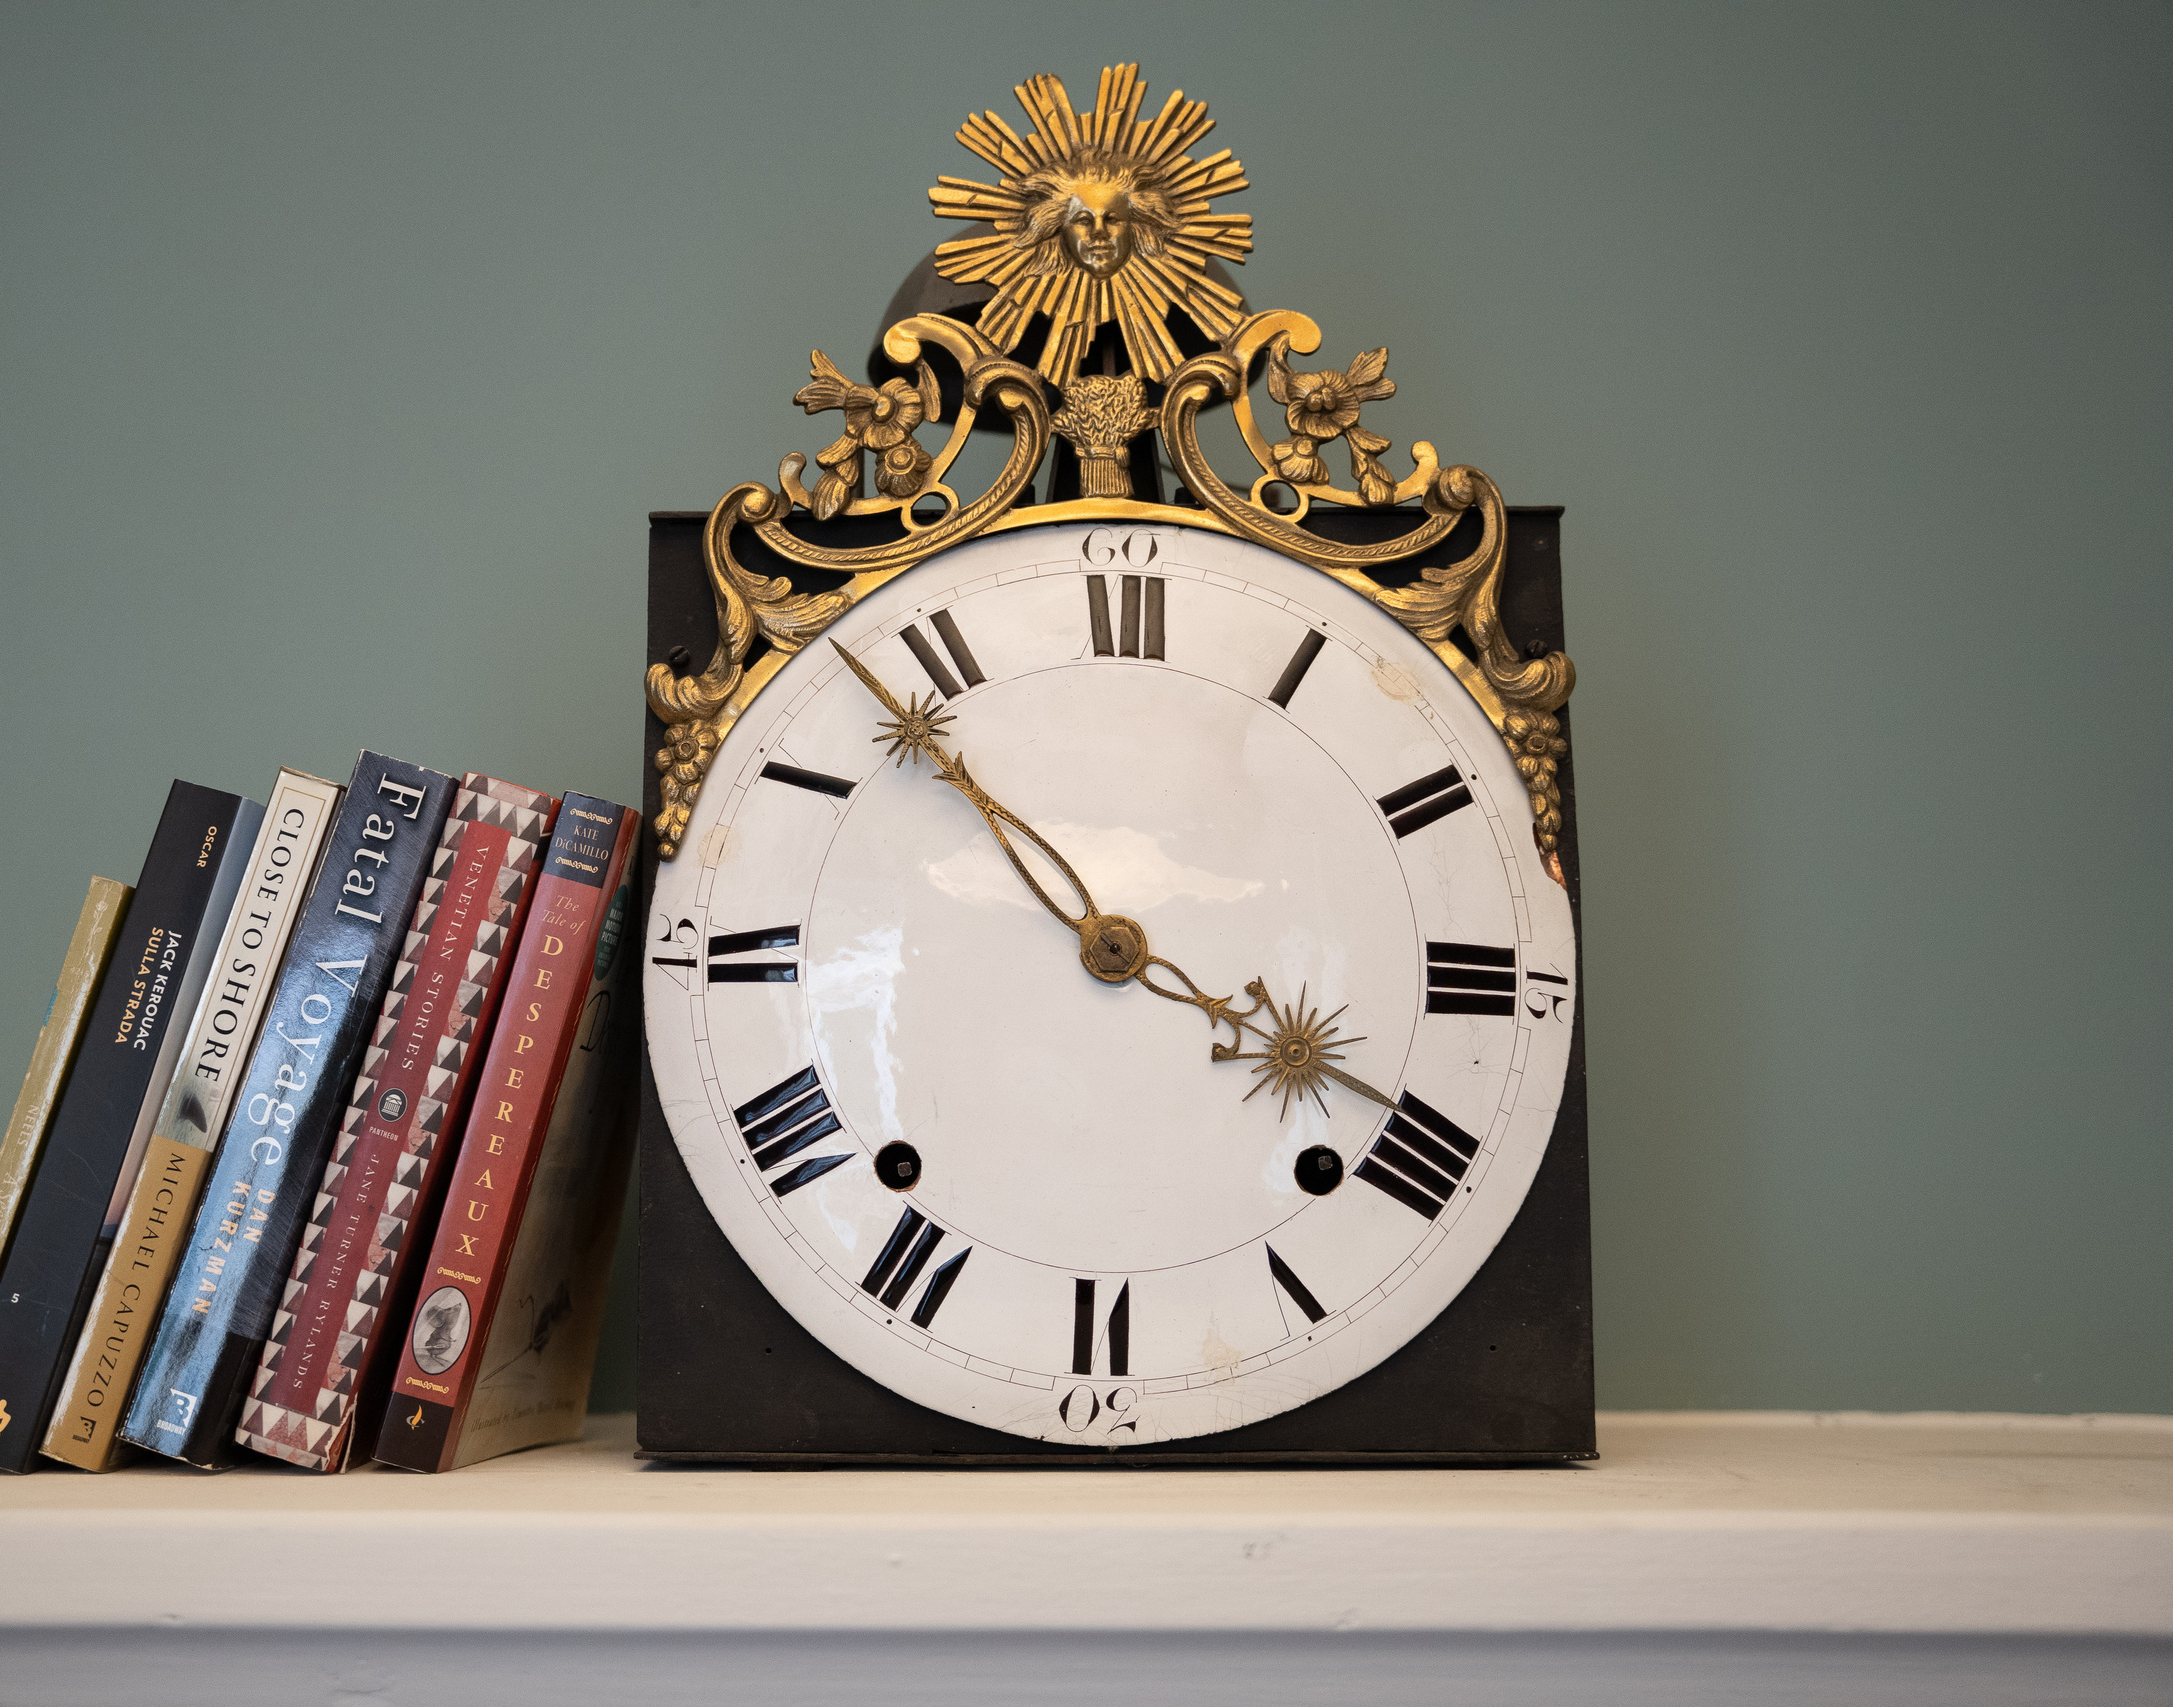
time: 3:52
